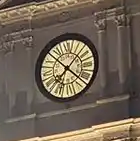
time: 7:07
